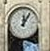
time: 12:05
